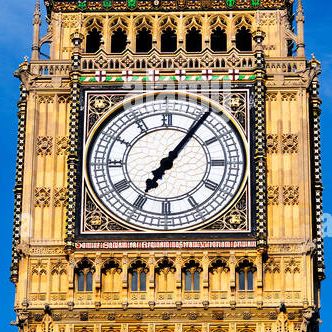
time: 7:06
